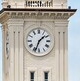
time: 1:33
